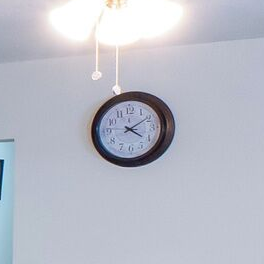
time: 4:09
